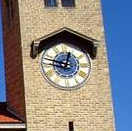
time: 12:47
